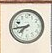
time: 7:44
